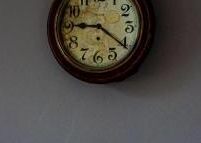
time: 9:20
